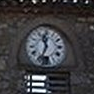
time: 11:33
